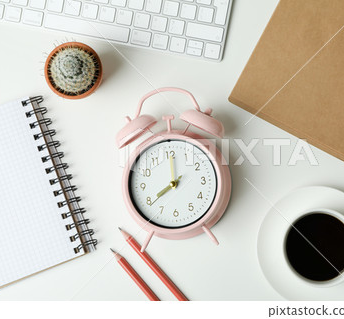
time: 8:00
